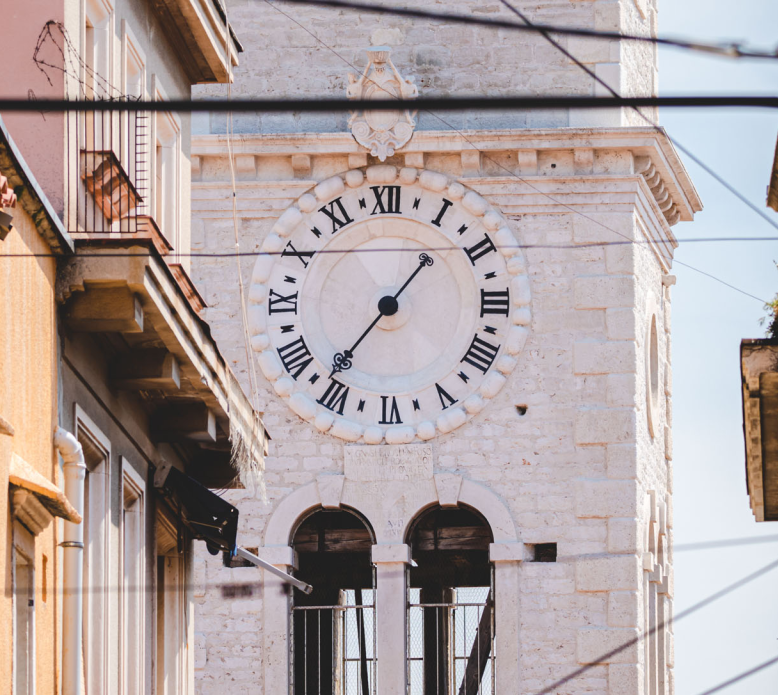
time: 1:36
